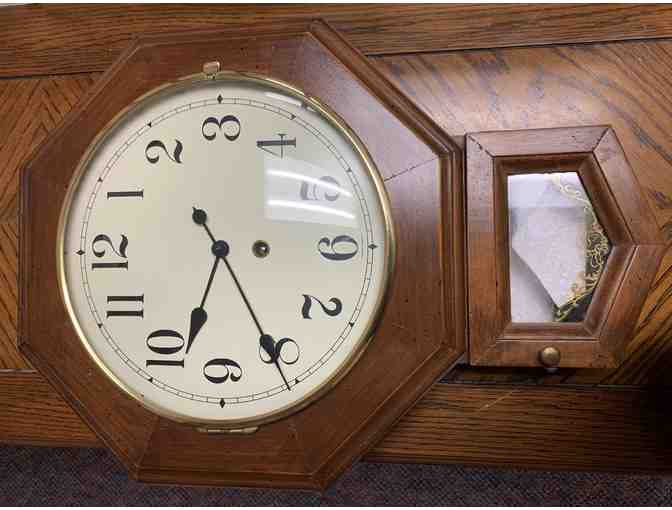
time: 6:25
